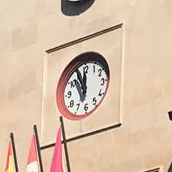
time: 11:55
